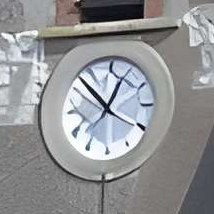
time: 12:52
